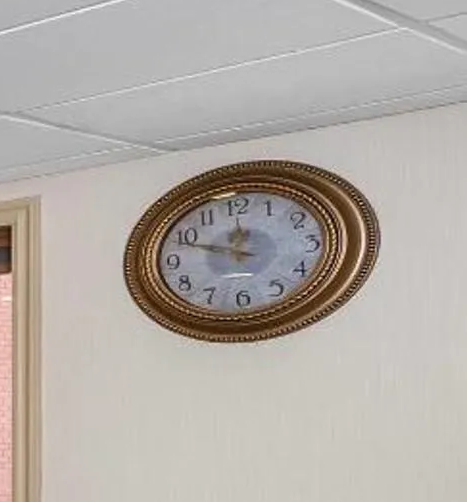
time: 11:48
